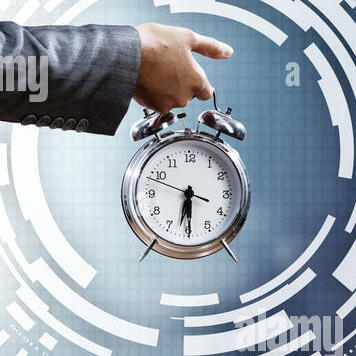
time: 6:29
